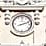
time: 2:11
